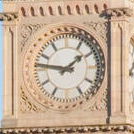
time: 1:46
